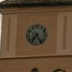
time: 7:24
